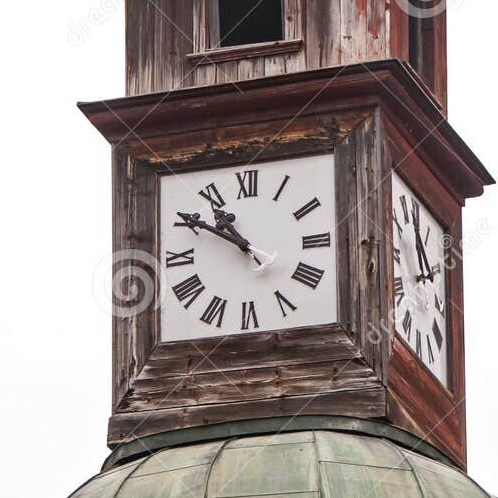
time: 10:50
